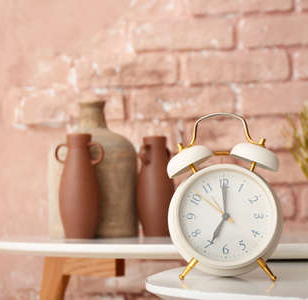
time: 6:59
